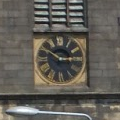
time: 2:50
